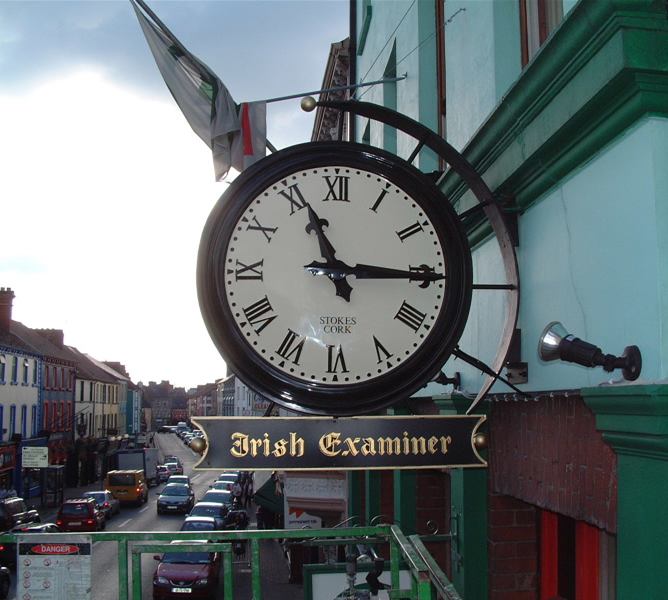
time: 11:15
